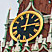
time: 12:13
